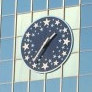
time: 1:36
